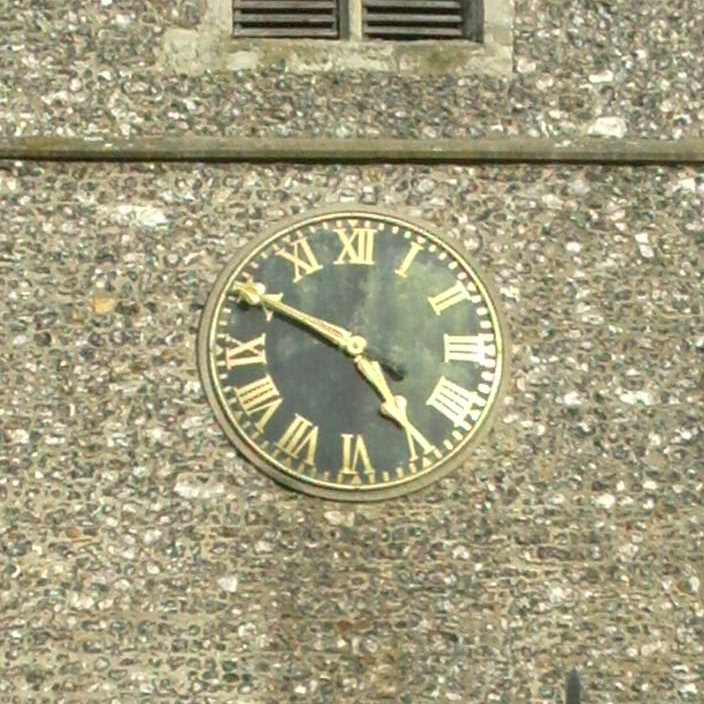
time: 4:49
